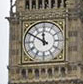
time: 11:50
